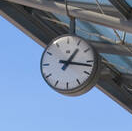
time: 1:16
